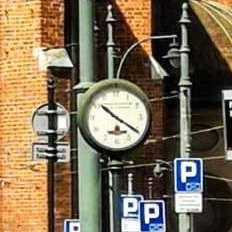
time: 10:20
